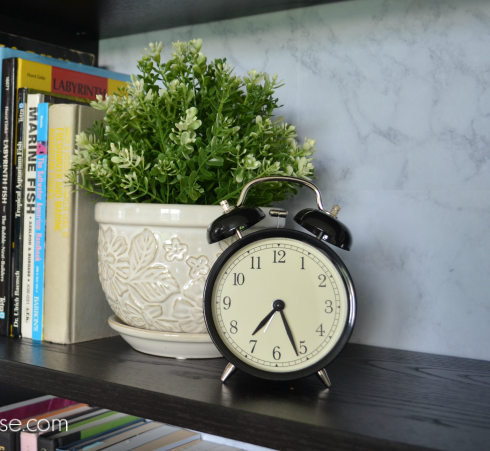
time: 7:26
